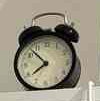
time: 7:52
